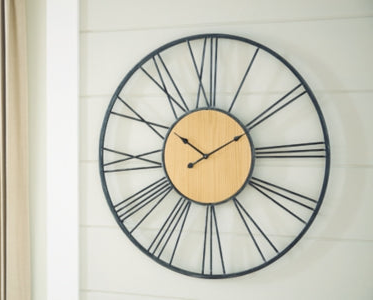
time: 10:10
